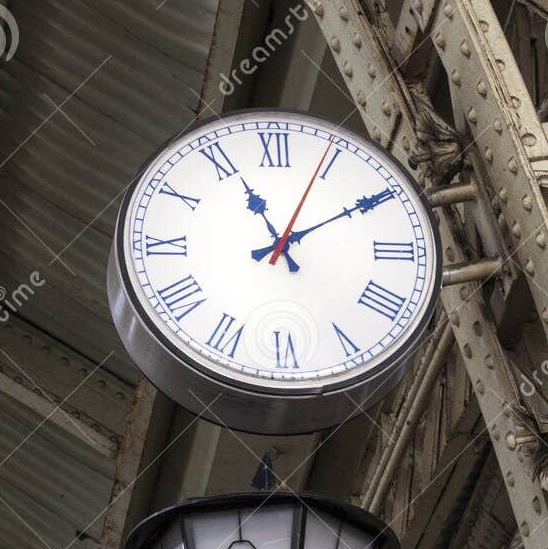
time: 11:09
